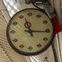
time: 11:15
